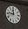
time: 11:46
